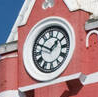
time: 1:49
